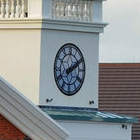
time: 2:10
